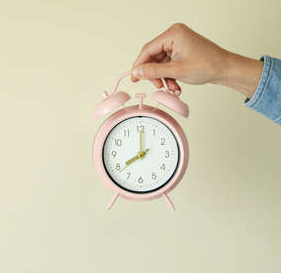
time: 8:00
